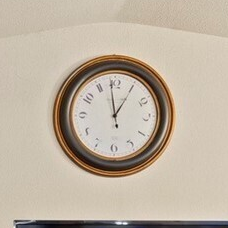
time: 12:58
